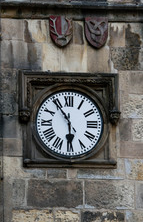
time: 5:54
